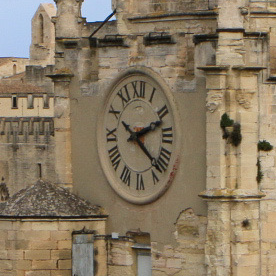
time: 2:21
